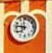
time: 6:46
